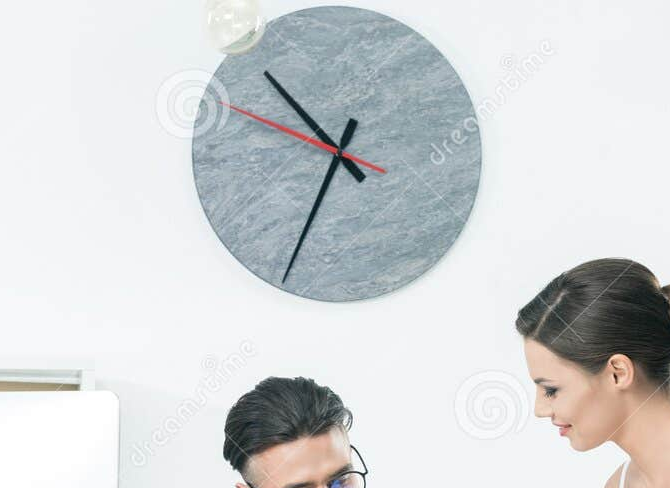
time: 10:34
